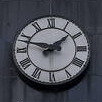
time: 1:47
